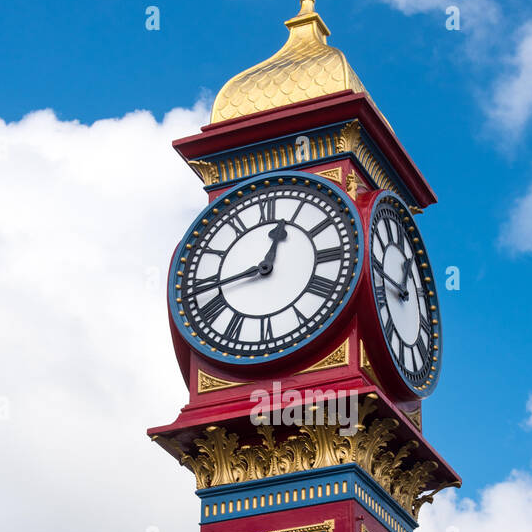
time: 12:43
